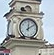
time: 12:09
